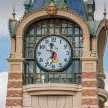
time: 11:32
